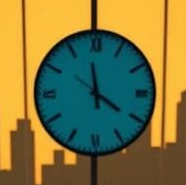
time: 3:58
